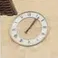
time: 1:06
